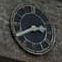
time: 2:40
